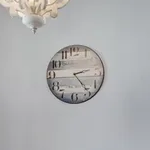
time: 2:24
